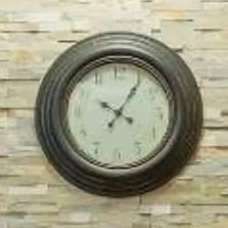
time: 10:05
